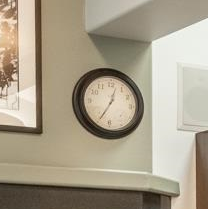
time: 12:34
